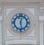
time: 12:28
